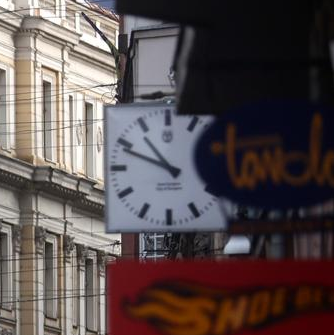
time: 10:48
